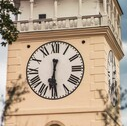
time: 6:29
